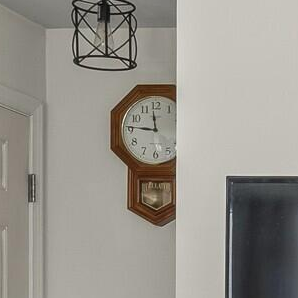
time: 11:46
